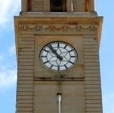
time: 10:53
